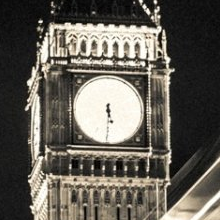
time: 5:30
